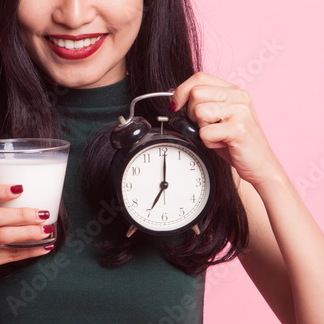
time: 7:00
